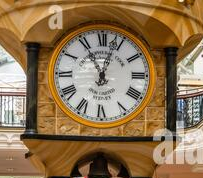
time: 11:02
